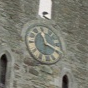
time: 11:19
